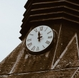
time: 11:57
